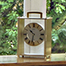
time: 10:32
